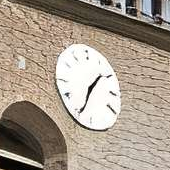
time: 1:34
